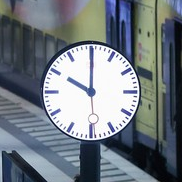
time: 10:00
